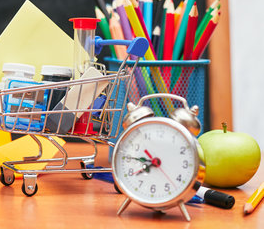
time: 7:45
